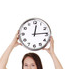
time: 12:14
